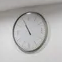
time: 10:55
